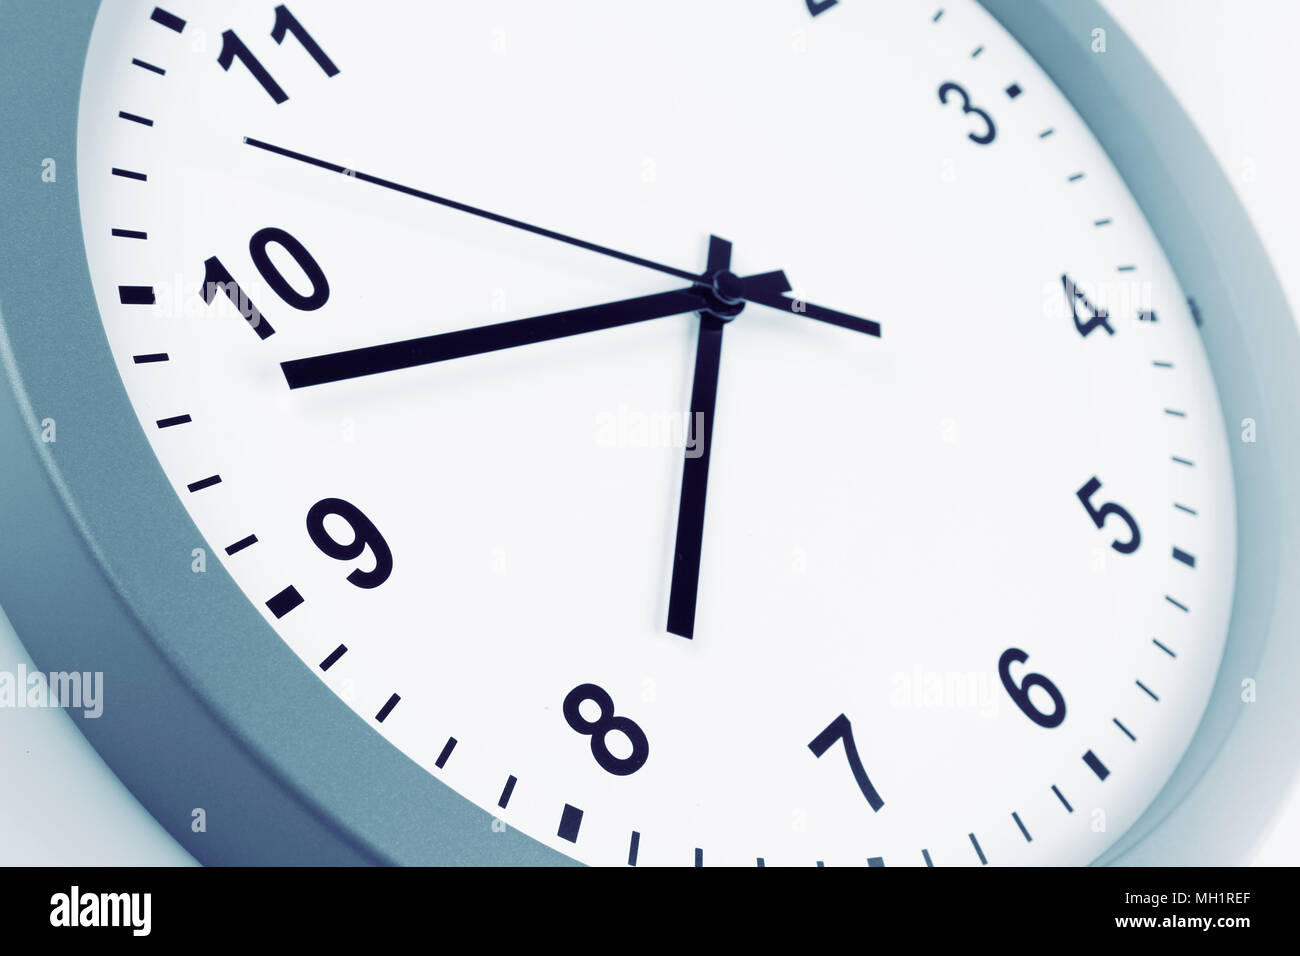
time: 6:43
